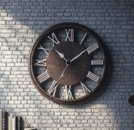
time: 1:52
